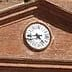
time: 4:43
